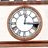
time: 12:16
